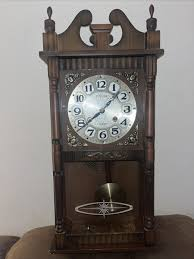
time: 1:39
